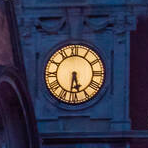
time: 5:31
